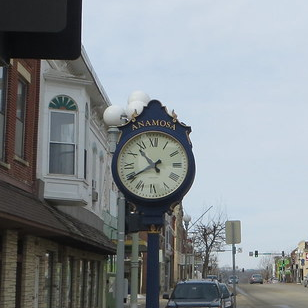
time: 10:39
